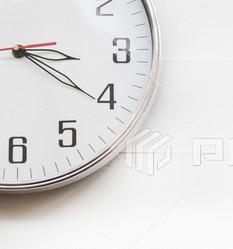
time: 3:20
